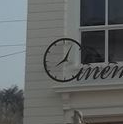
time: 8:04
